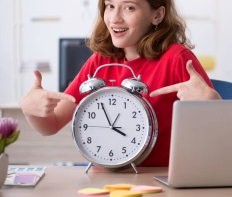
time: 3:55
